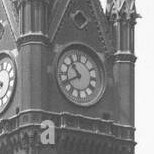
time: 10:40
